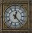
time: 12:23
